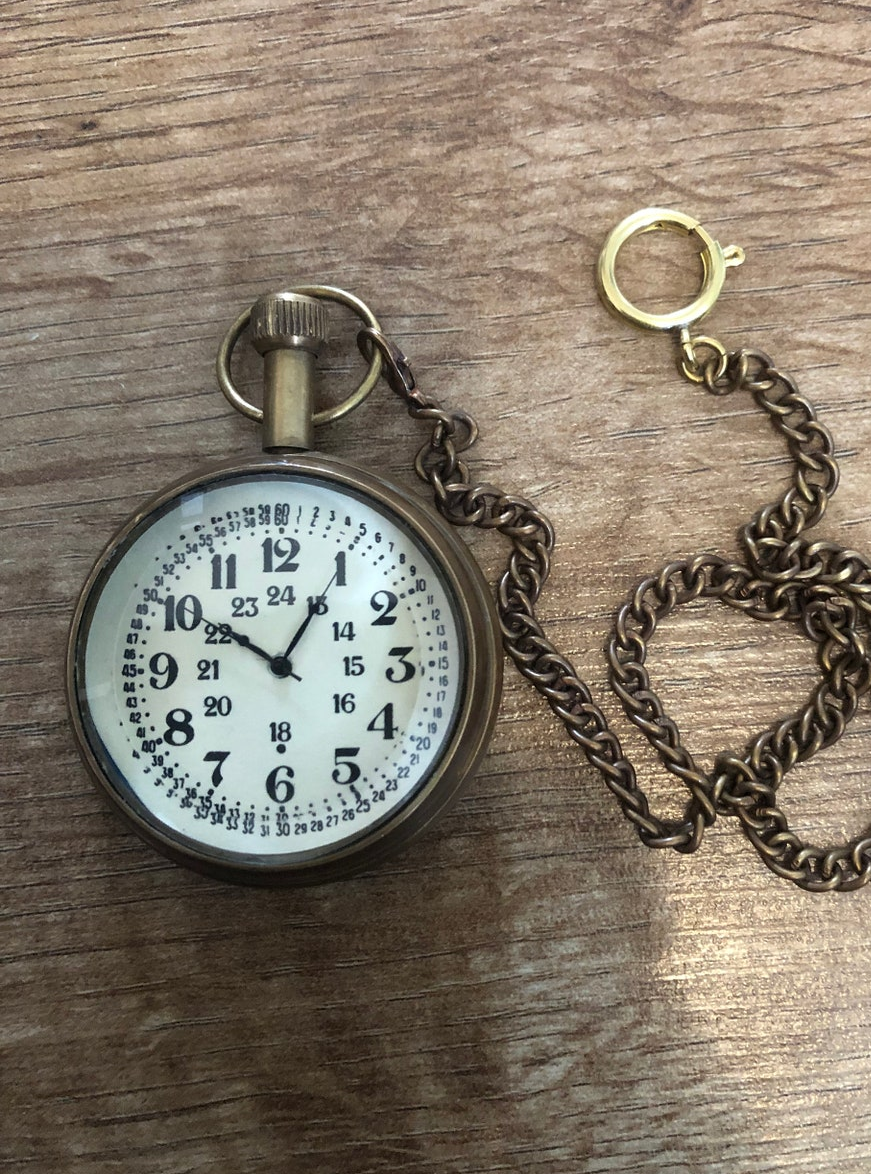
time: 10:05
